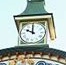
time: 10:00
